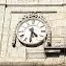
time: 4:31
